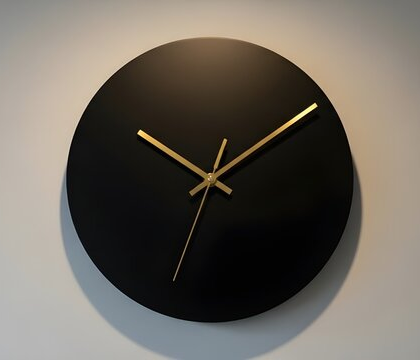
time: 10:08
